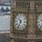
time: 10:34
